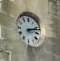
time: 2:11
